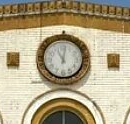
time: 11:02
